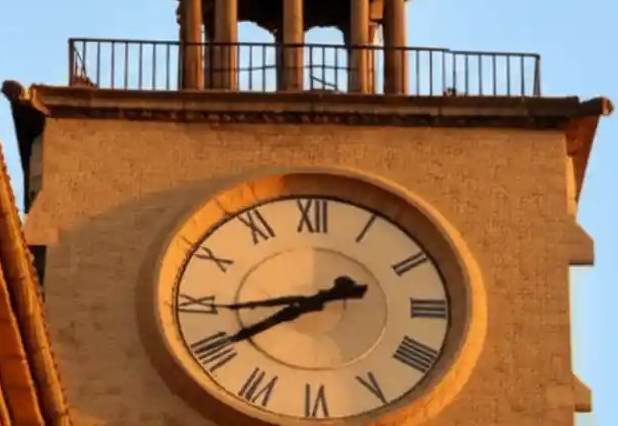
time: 8:40
